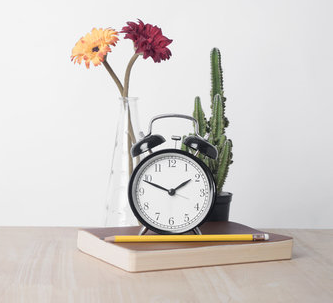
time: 1:48
